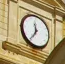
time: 11:35
